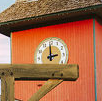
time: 2:59
